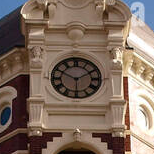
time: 1:49
